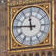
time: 11:45
